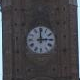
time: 2:59
